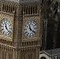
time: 11:21
